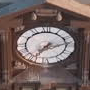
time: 7:13
